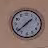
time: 1:38
